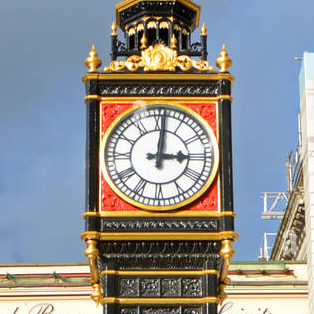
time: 3:01
